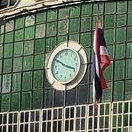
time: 3:50
